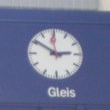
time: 2:50
